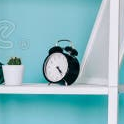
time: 4:23
